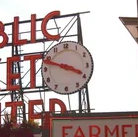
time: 3:48
